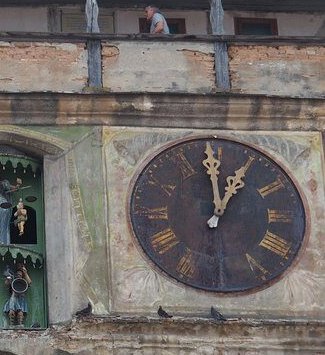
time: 12:59
